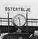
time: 11:28
